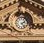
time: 2:23
